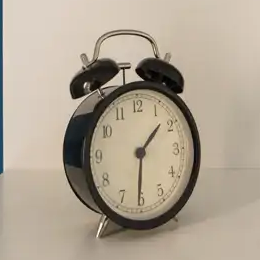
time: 1:30
